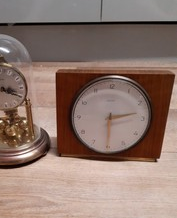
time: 2:29
